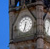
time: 6:32
